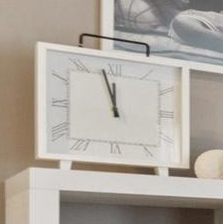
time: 11:58
